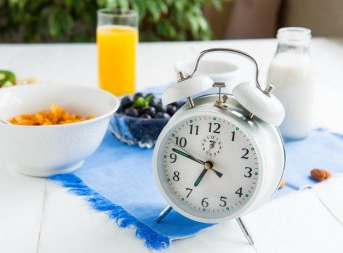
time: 6:47
